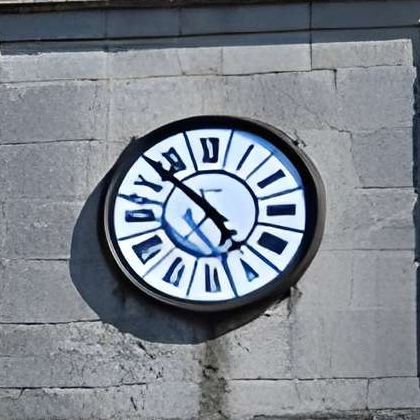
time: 4:52
